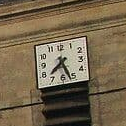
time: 7:26
